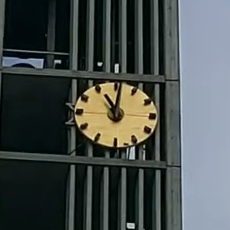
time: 11:01
